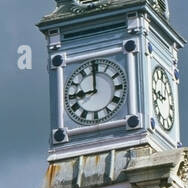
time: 8:59
